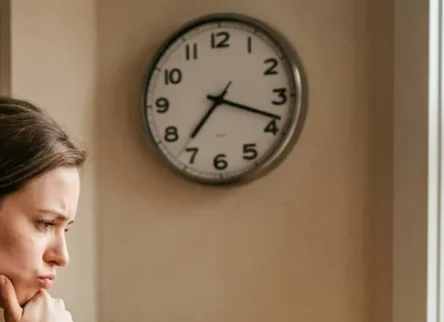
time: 7:18
